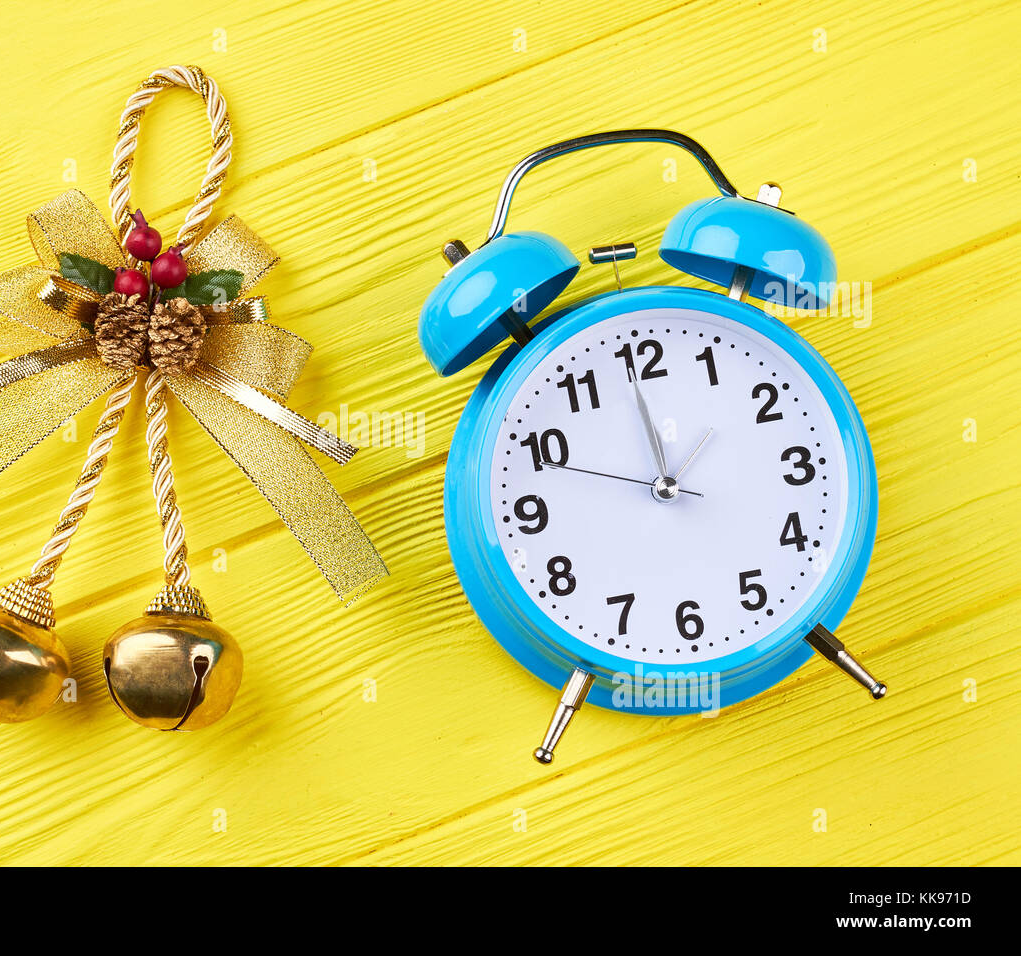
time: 11:48
